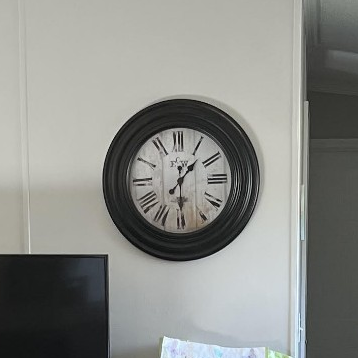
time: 1:29
